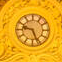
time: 9:26
